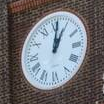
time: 1:01
